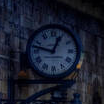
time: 12:47
